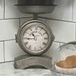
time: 10:44
